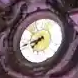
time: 7:41
